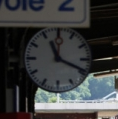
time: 11:18
